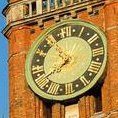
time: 7:37
